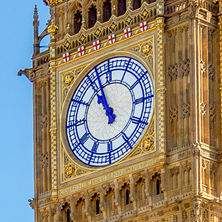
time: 10:56
